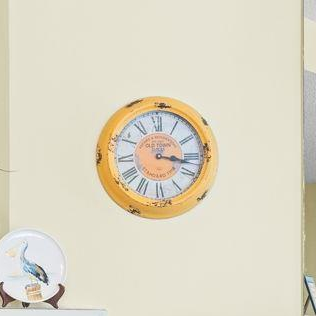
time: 3:17
